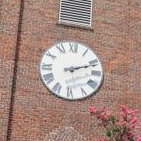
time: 2:11
